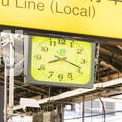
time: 8:18
